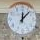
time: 12:07
